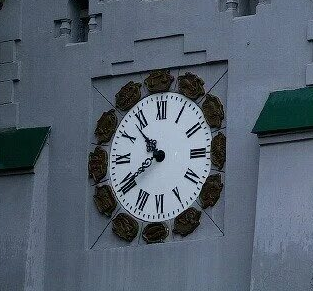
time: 10:39
